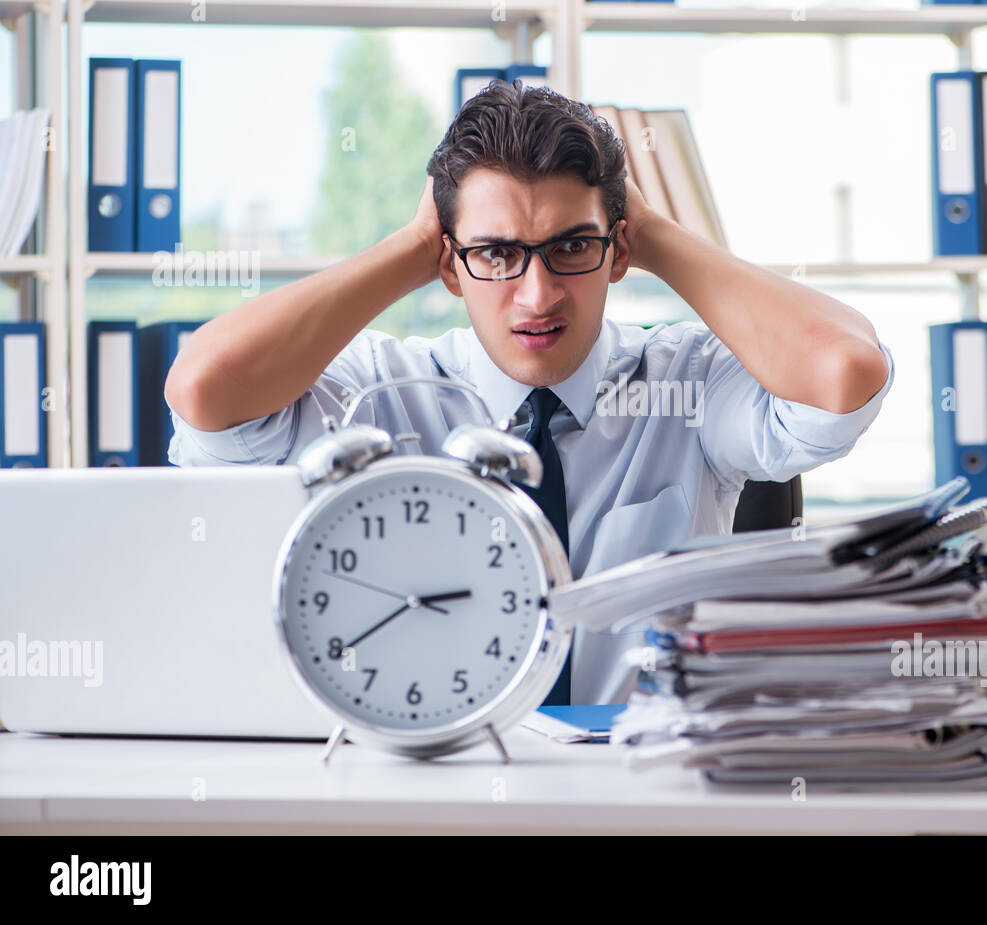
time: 2:39
